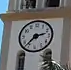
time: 2:36
